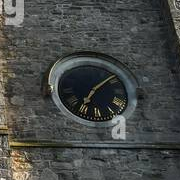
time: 7:08
